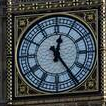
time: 12:24
